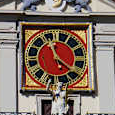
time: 11:21
